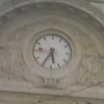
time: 5:35
